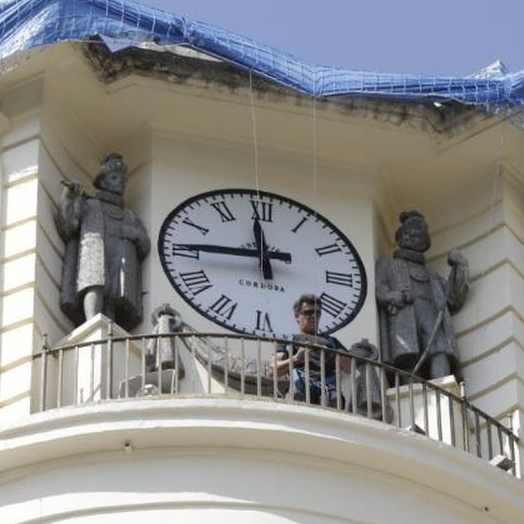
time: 11:45
